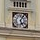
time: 5:05
